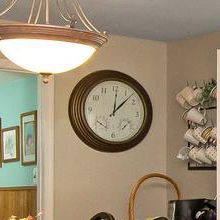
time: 12:07
